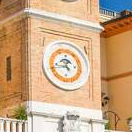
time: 4:42
